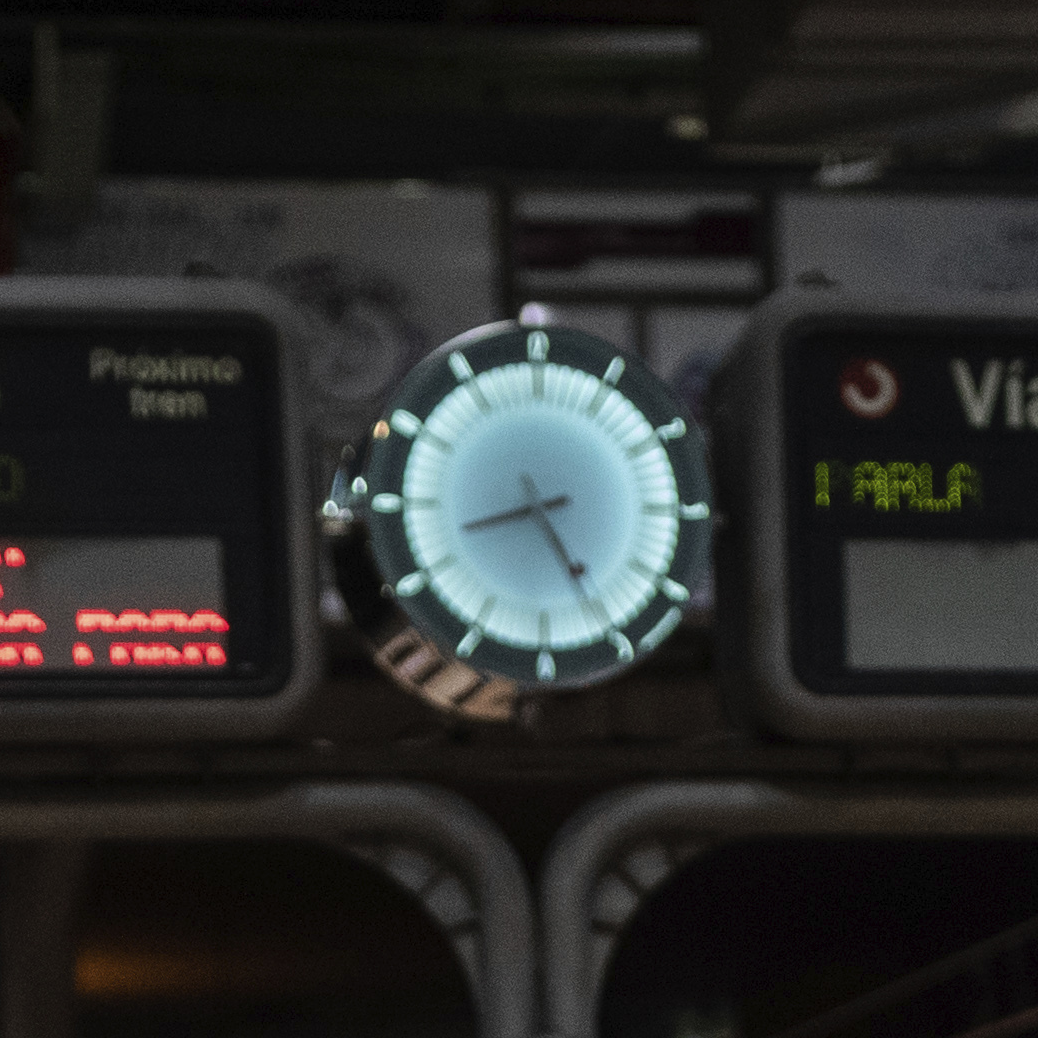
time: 8:25
